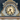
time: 7:25
